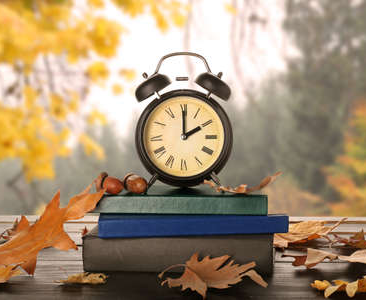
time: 2:00
